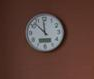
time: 11:52
